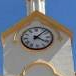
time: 4:07
